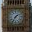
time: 1:35
